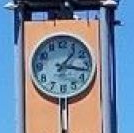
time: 1:16
